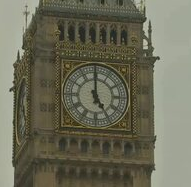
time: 4:59
